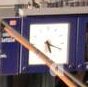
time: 5:18
